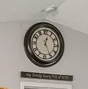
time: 12:25
